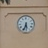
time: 5:33
